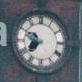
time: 7:49
